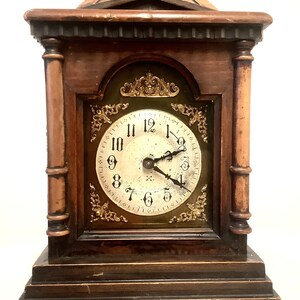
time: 2:20
